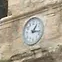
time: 1:16
